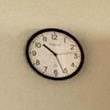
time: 10:26
